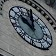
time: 10:02
